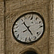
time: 4:53
